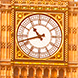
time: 10:42
